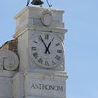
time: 12:55
